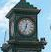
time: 12:33
